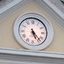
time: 5:23
